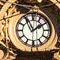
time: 1:56
